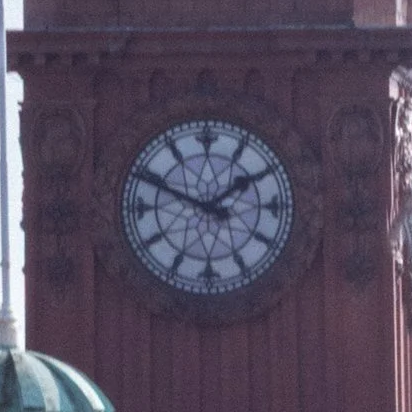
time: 1:49
